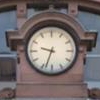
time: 9:33
